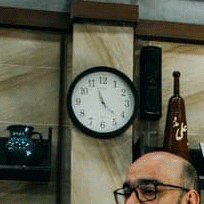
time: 11:22
